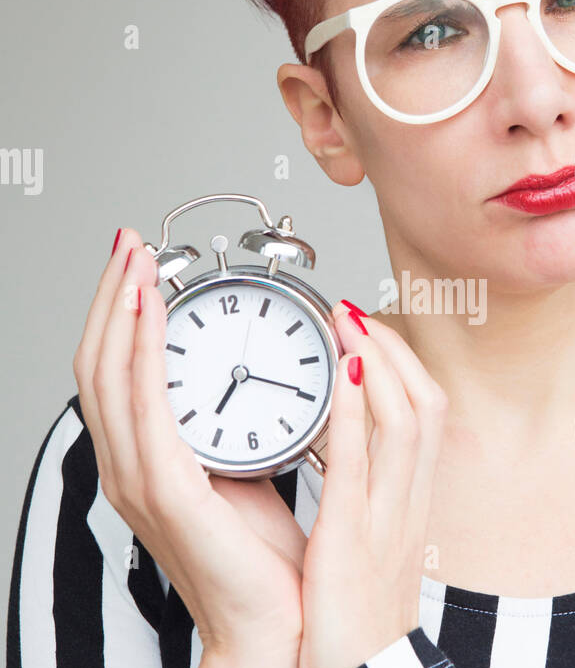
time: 7:19
